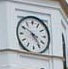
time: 4:50
